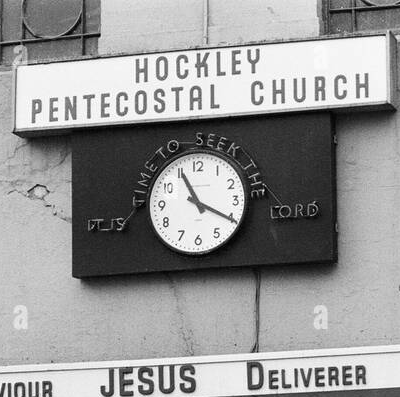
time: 11:20
